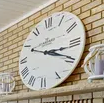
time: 3:19
